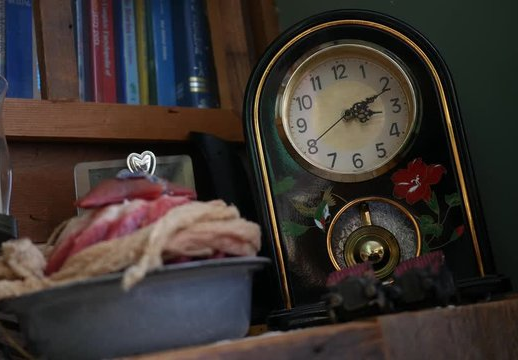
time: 3:11
